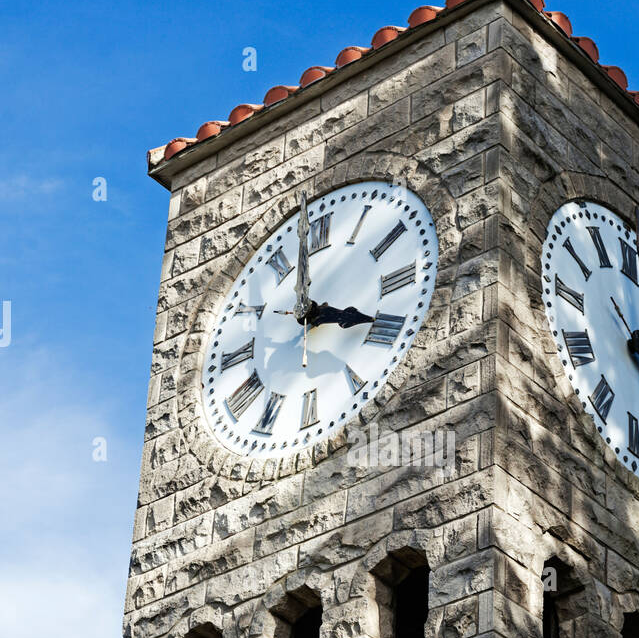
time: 3:58
